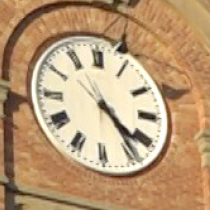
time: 4:23
